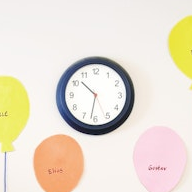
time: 10:31
